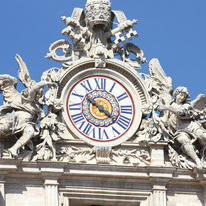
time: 10:21
